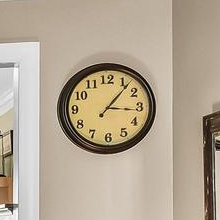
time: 3:06
